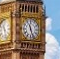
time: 11:26
